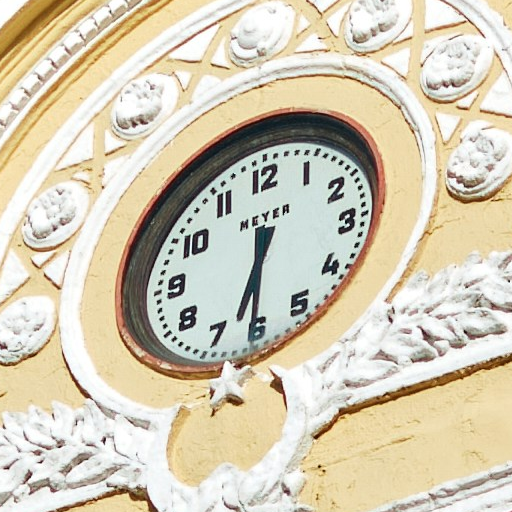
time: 6:30
